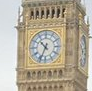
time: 10:34
